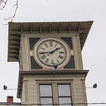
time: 1:44
